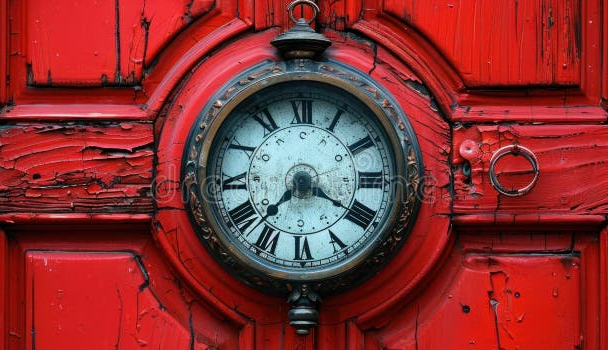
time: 7:20
